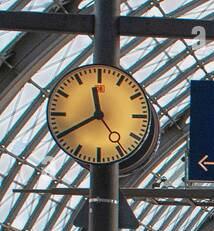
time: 11:40
